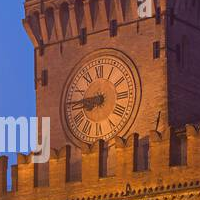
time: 8:45
